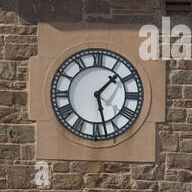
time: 1:27
